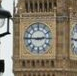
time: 2:46
